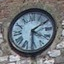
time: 4:09
